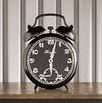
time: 6:02
